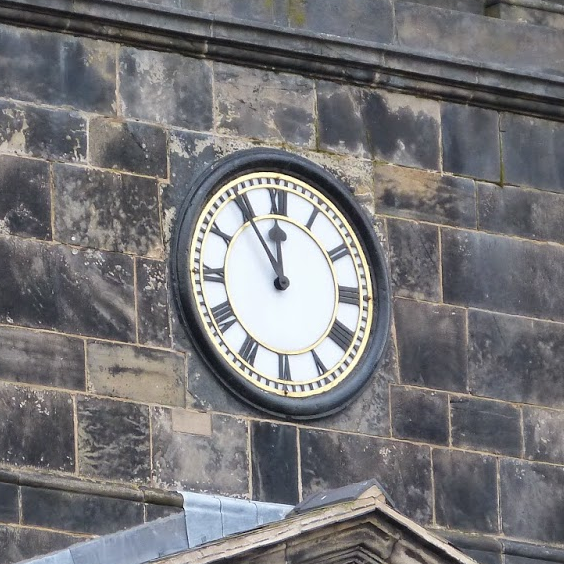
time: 11:54
